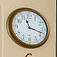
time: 11:17
